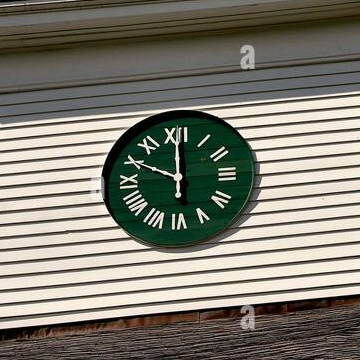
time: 10:00
